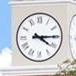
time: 4:14
